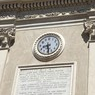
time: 8:28
